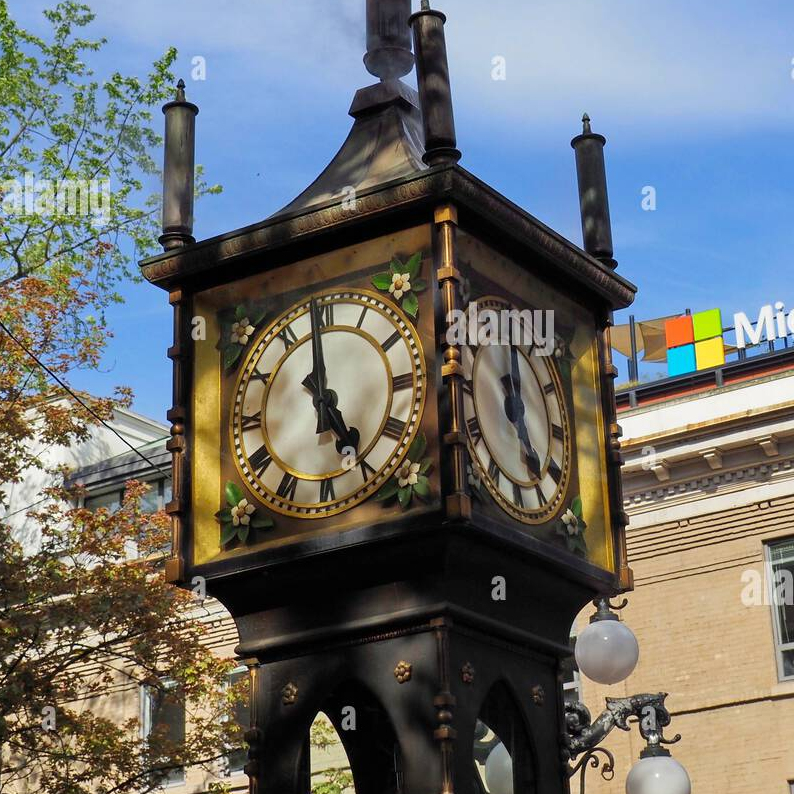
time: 4:59
